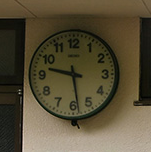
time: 9:28
